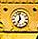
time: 6:58
